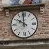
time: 9:59
